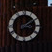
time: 3:09
